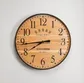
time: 7:43
